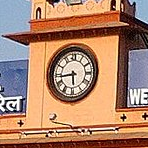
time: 5:43
